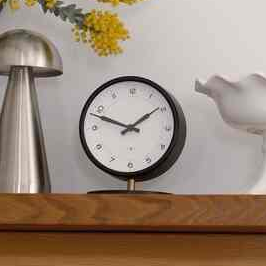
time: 1:48
